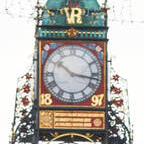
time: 10:16
